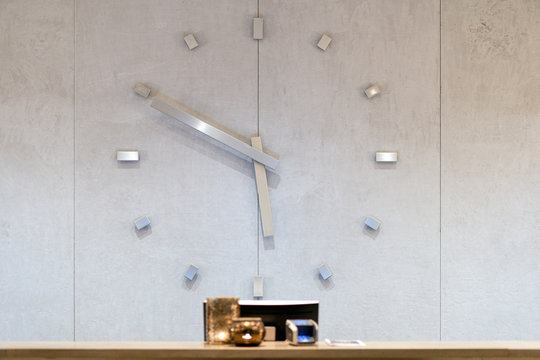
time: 5:49
